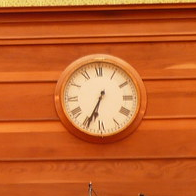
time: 6:34
